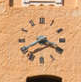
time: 3:40
